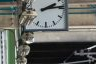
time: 2:13
